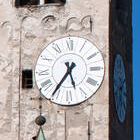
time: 5:35
